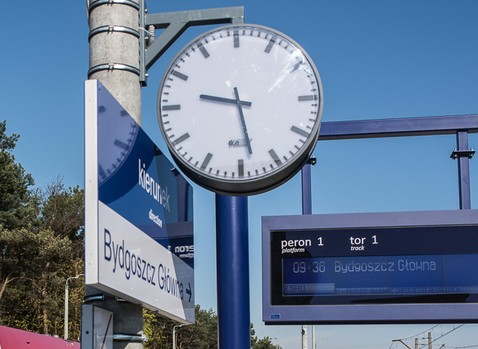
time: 9:28
